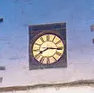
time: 8:16
